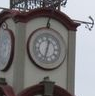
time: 12:32
